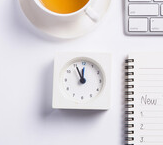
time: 11:55
